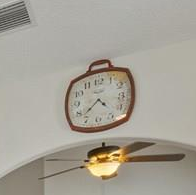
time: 4:37
